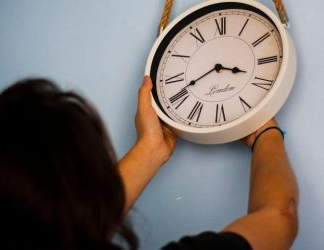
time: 3:40
